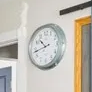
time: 10:43
